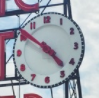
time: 4:51
